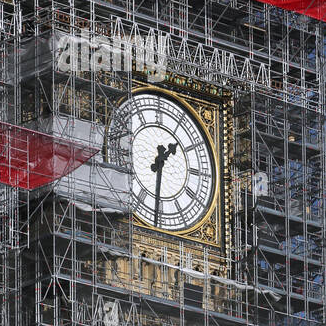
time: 1:31
